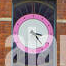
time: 3:23
